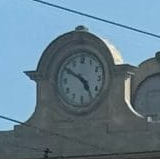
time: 4:50
